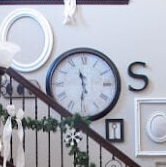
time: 11:30
